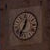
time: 12:34
